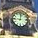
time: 9:01
